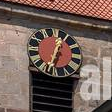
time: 12:33
